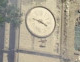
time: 3:47
